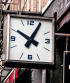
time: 10:04
